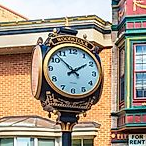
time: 1:52
